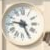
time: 9:25
